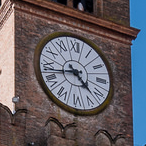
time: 4:42
